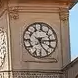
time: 5:14
